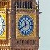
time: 11:40
